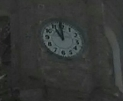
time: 10:59
